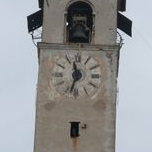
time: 11:32
